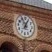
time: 12:55
